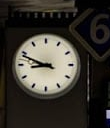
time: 8:48
